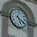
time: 5:20
